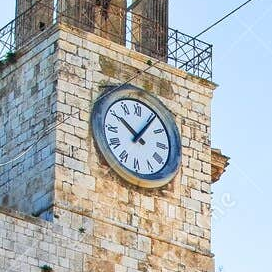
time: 10:06
